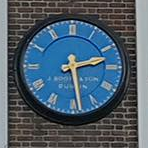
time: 2:28
